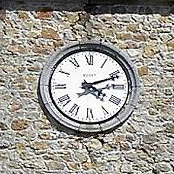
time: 4:11
